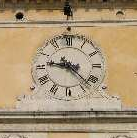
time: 9:22
